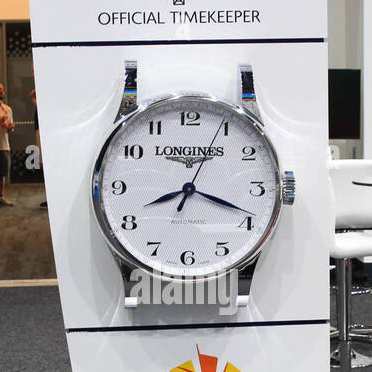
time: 8:18
